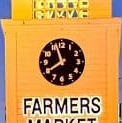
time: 7:56
